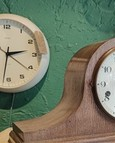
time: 2:32
